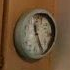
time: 11:25
